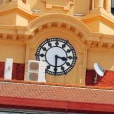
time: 3:29
